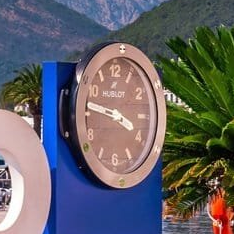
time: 3:46
